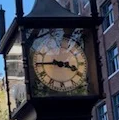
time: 3:45
